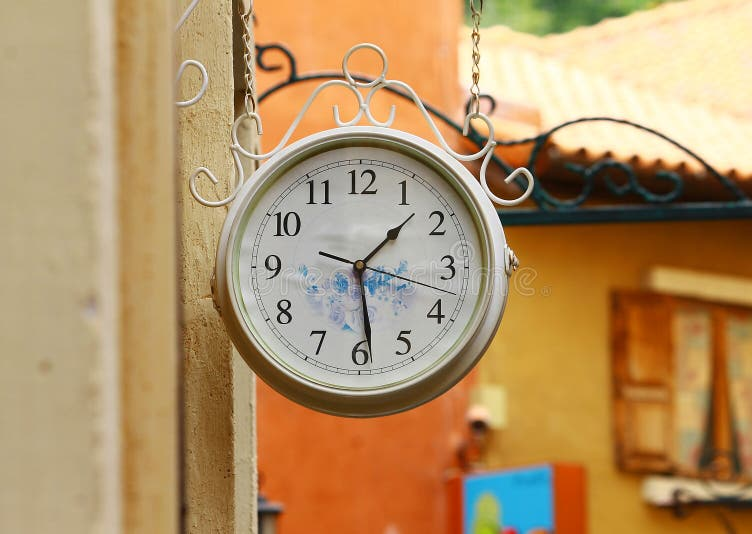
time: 1:28
